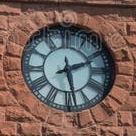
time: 2:28
